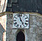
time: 4:57
